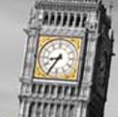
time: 8:35
